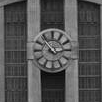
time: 2:53
